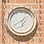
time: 1:40
